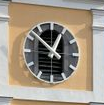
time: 12:52
